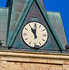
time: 11:00
